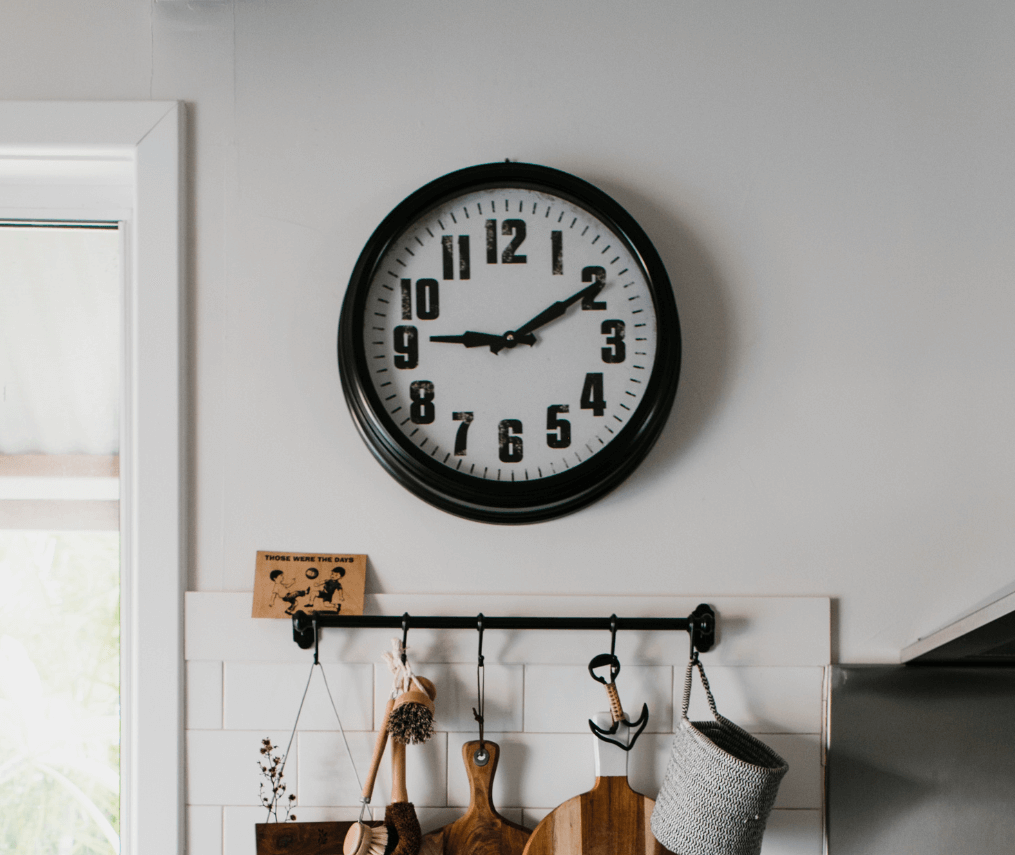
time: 9:10
